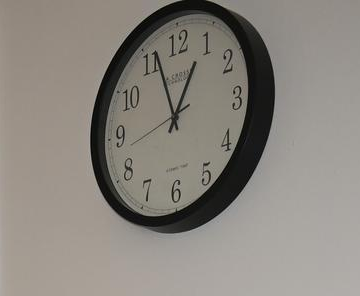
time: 12:56
